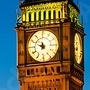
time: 11:48
